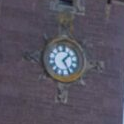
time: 1:24
